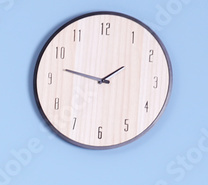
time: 1:47
